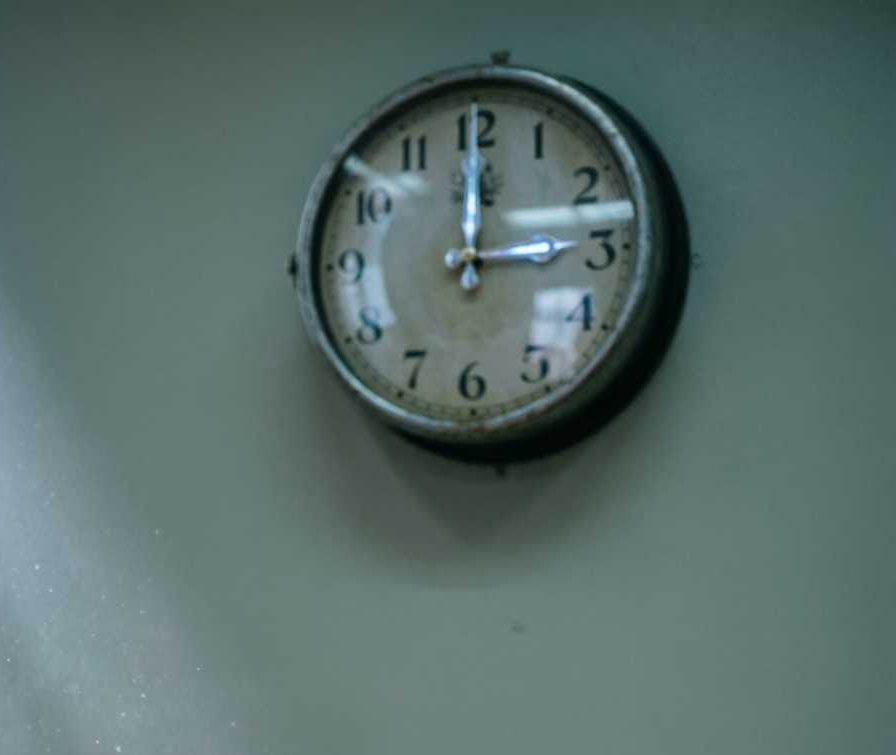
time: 3:00
